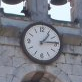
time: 1:13
